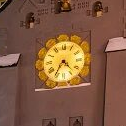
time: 4:35
